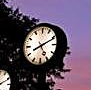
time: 8:11
